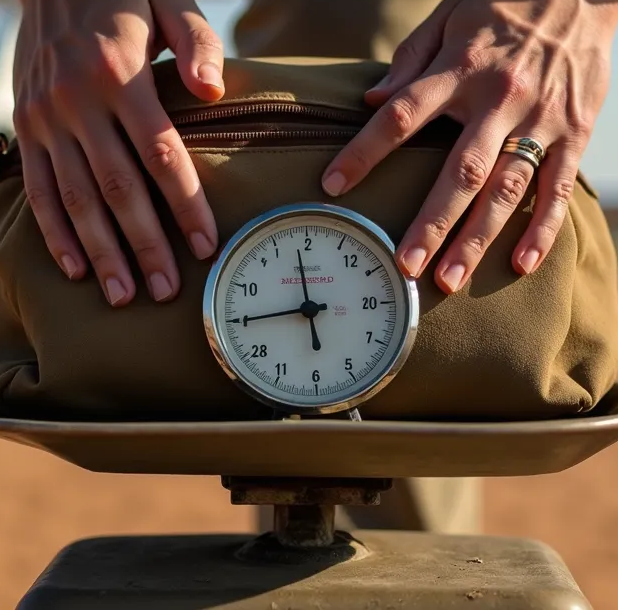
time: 11:45
